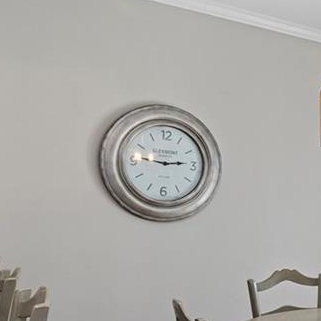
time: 2:46
